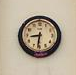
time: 8:31
